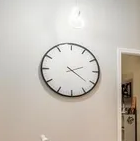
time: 2:21
